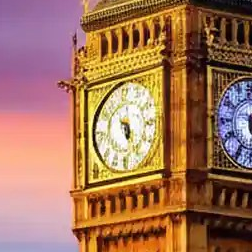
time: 5:26
